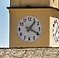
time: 1:19
